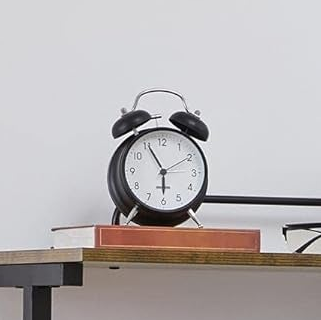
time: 5:55
